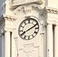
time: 8:11
